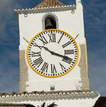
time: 10:18
